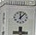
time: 12:07
